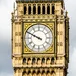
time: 9:49
